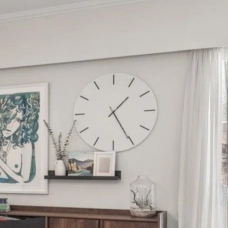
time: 1:25
